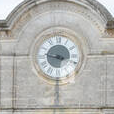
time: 8:46
